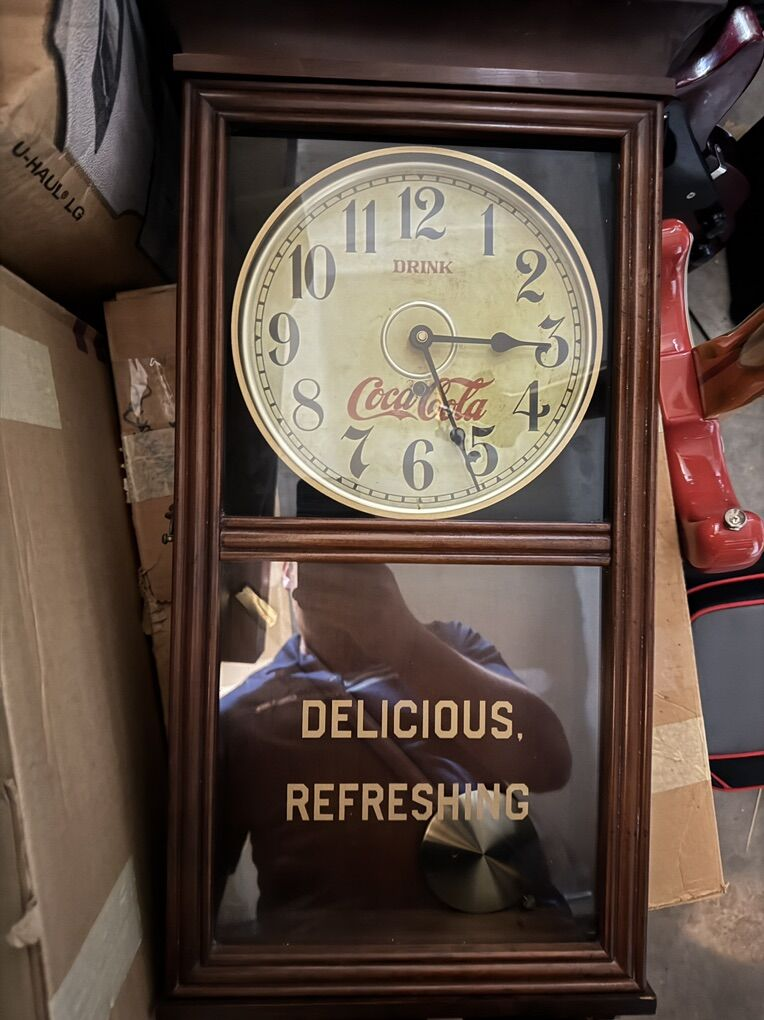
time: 5:14
